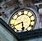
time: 5:42
